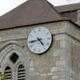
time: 4:43
